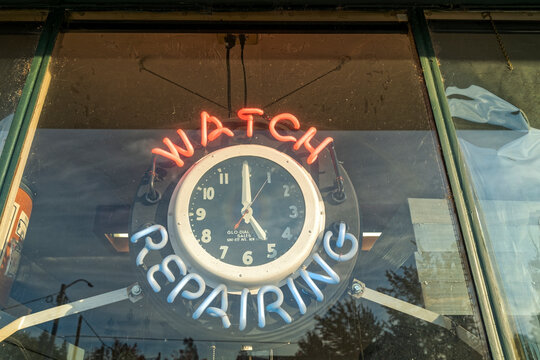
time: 5:00
